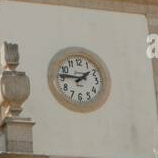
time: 1:46
